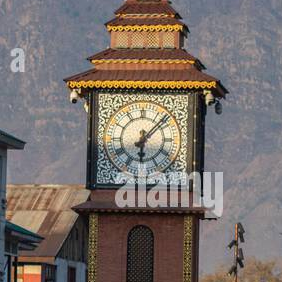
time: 6:07
